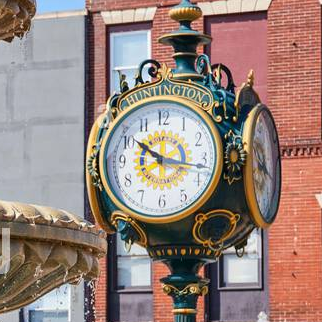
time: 10:17
